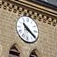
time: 10:21
